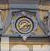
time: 2:38
